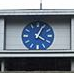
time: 4:04
